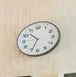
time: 10:34
